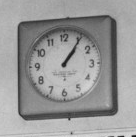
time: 1:05
